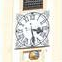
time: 3:28
